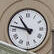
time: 10:47
